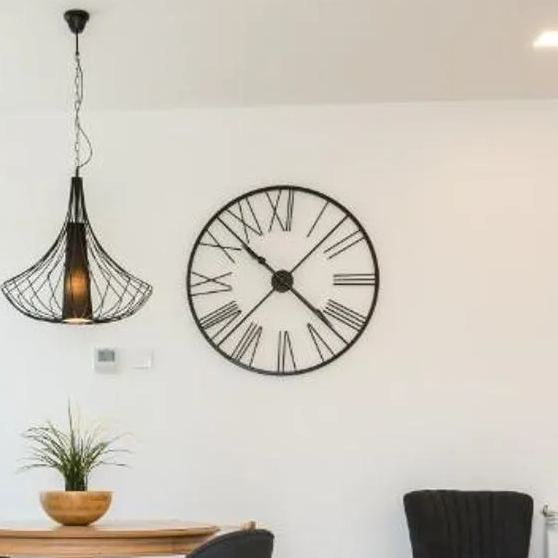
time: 10:22
